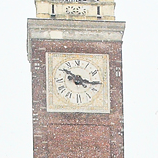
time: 10:16
